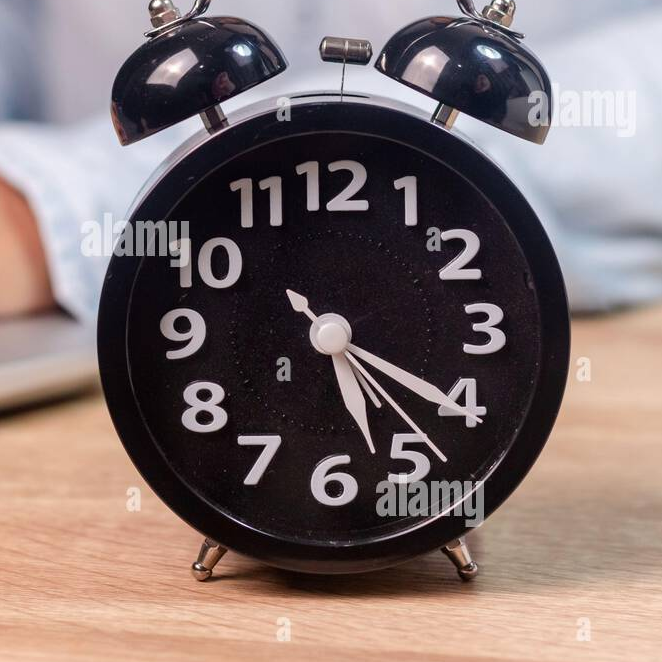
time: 5:20
